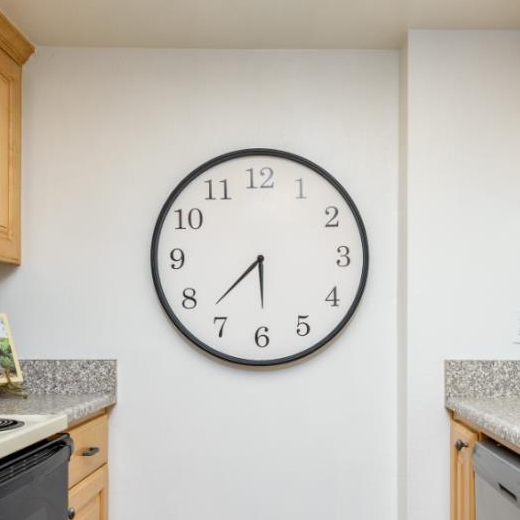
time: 5:37
